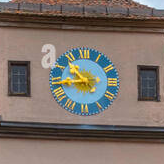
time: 10:43
